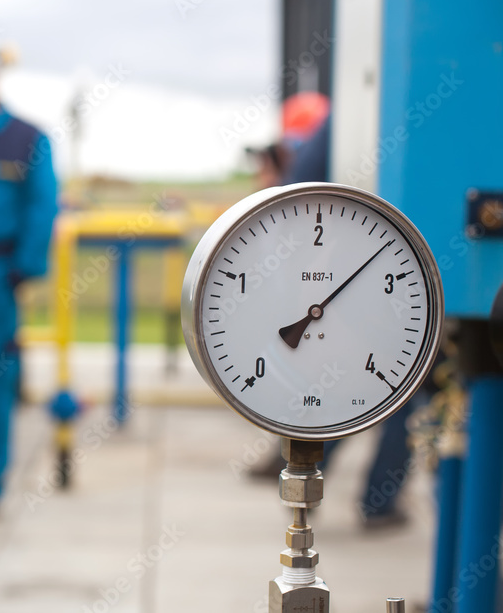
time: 8:07
